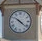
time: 10:21
